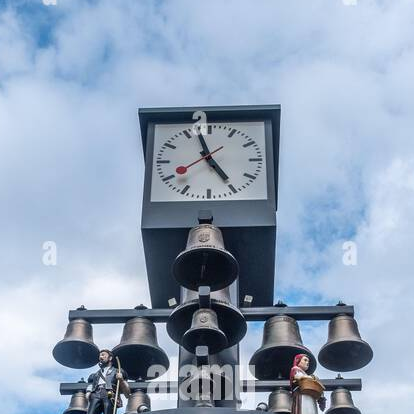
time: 4:57
